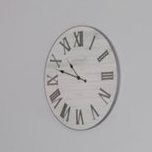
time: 10:48
